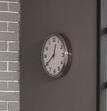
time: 12:39
